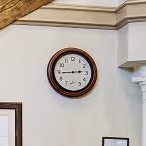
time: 2:44
